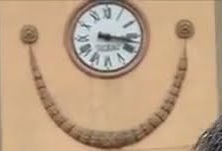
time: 3:16
